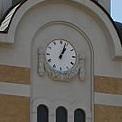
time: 1:03
